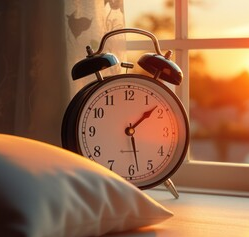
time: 1:28
